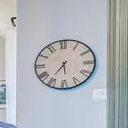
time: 5:36
